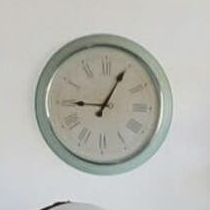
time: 9:04
